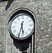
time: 5:32
